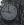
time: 11:46
